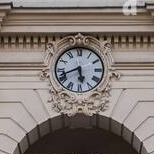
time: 5:41
